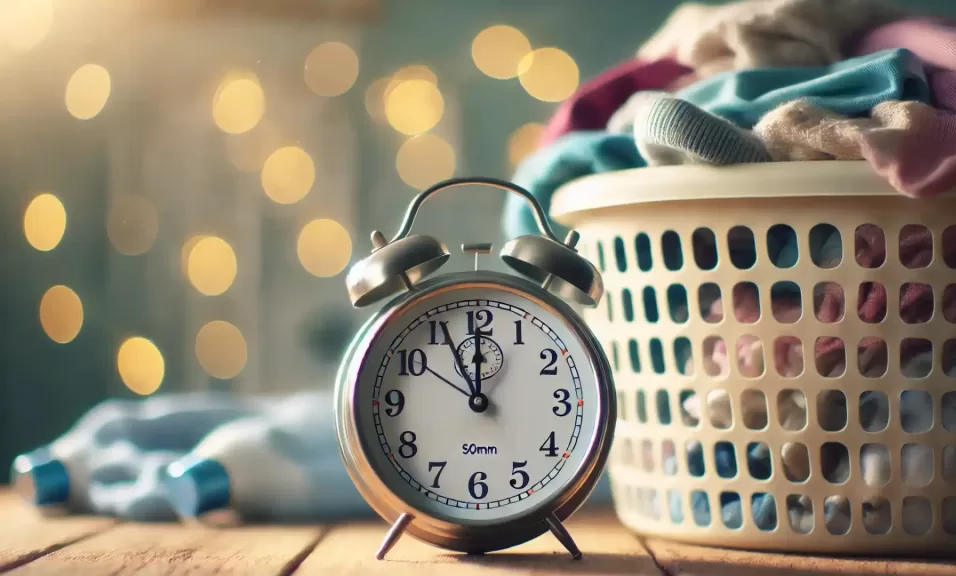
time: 11:55
